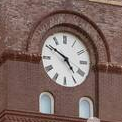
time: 4:50
